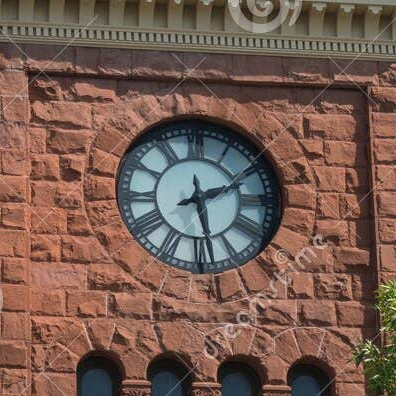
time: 2:28
